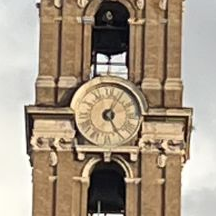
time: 5:05
